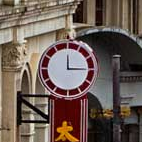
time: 12:14
